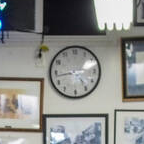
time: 4:43
